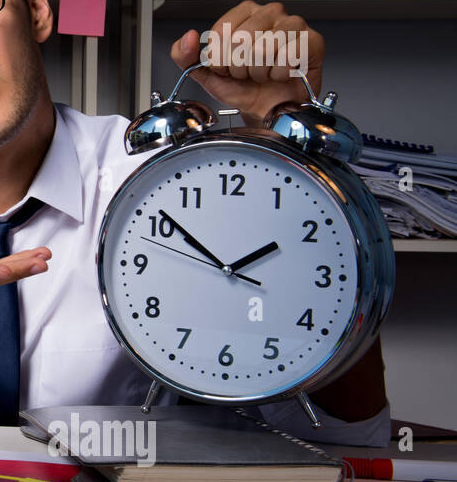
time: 1:51
